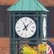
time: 11:07
